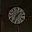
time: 1:34
